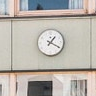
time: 1:19
